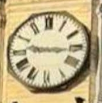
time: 9:15
